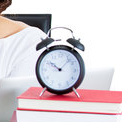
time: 10:07
